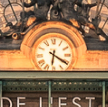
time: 6:20
